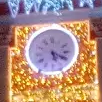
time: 5:18
